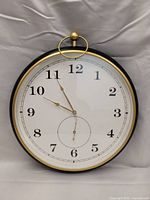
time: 9:55
